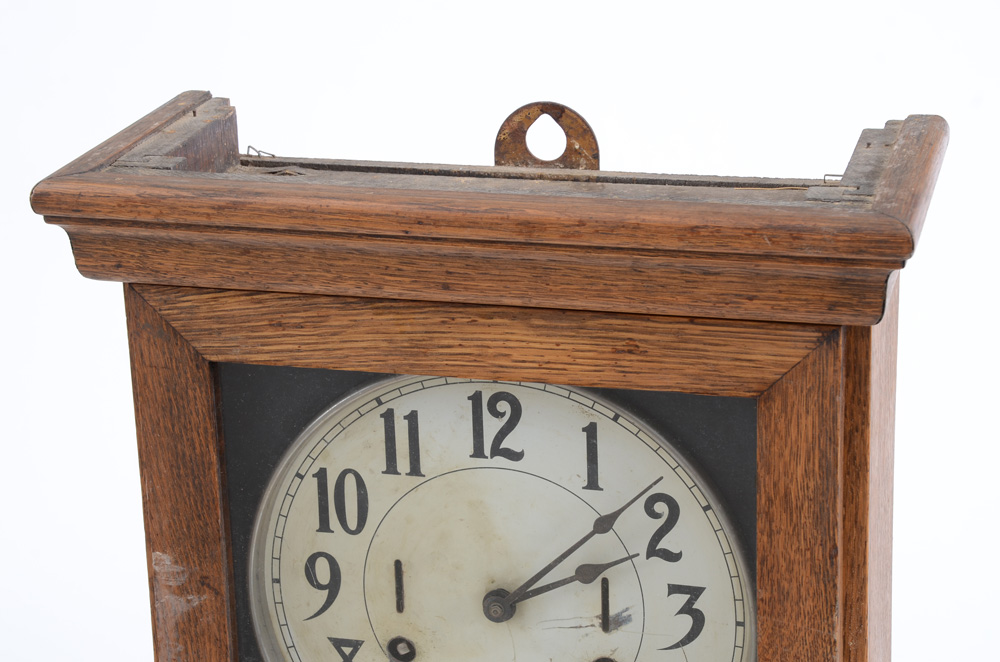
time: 2:07
